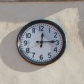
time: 12:14
